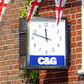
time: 11:47
